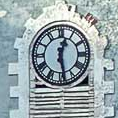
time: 12:28
